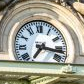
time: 7:17
